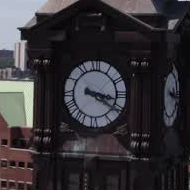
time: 3:20
